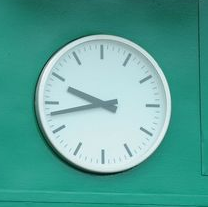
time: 9:43
